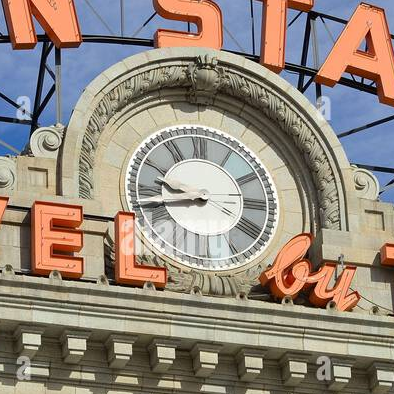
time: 9:42
